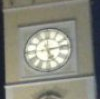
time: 5:13
